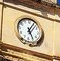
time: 5:05
